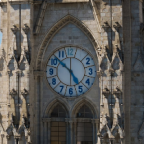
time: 4:52
